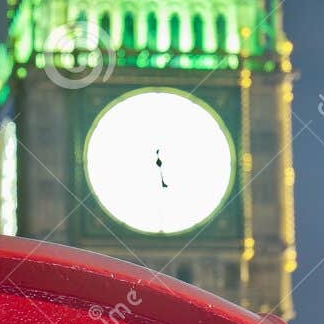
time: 5:29
